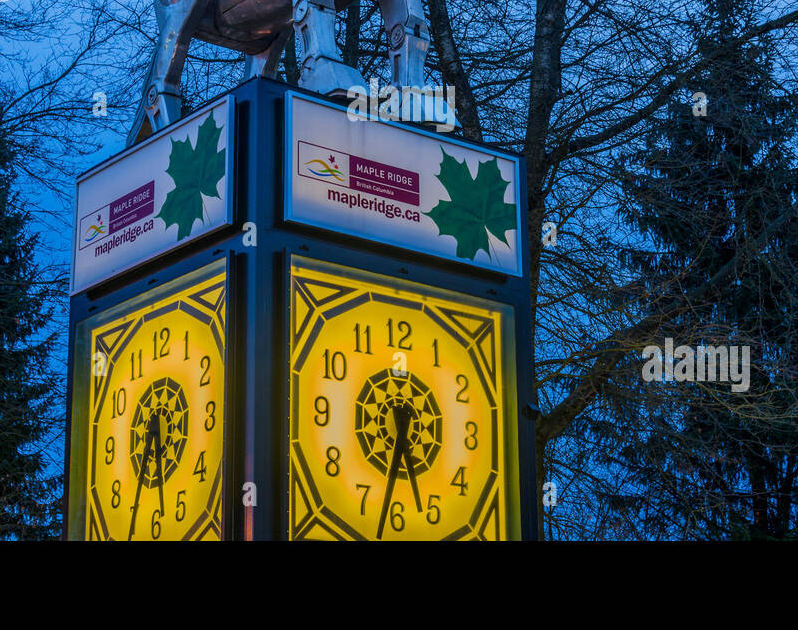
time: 5:32
